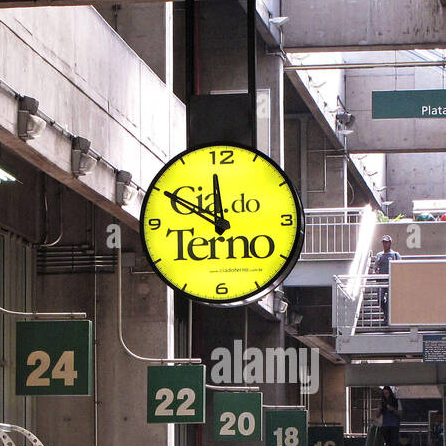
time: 11:50
